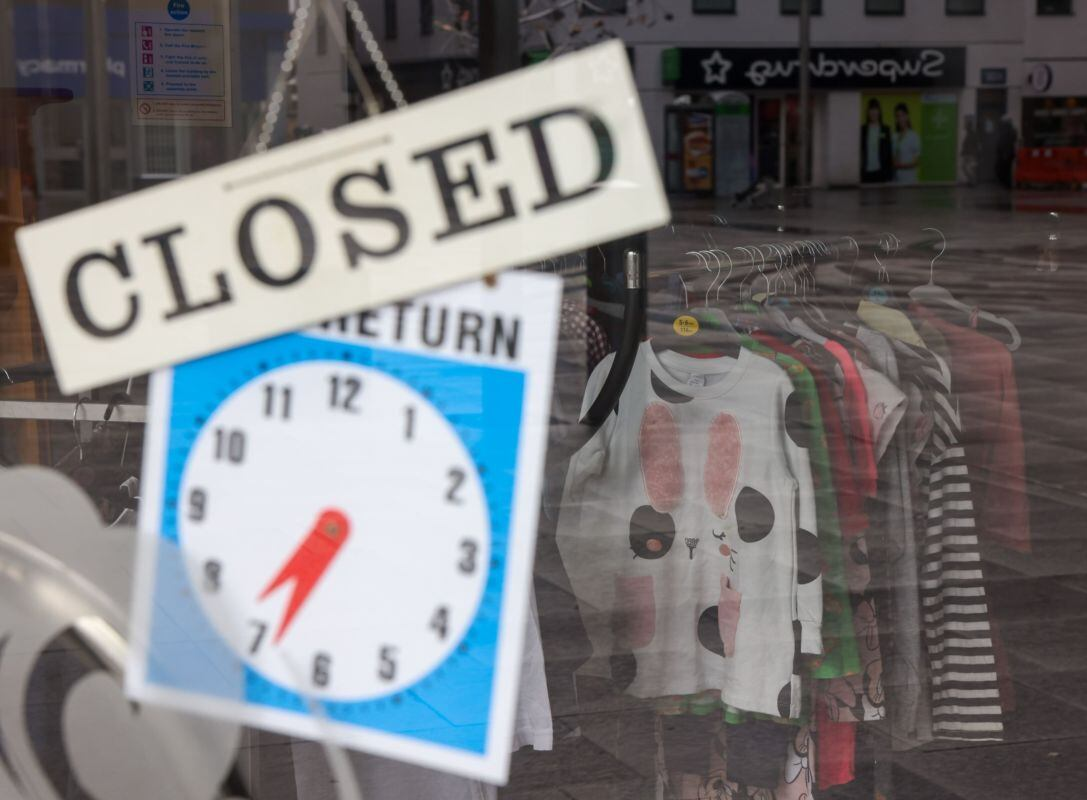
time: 7:34
